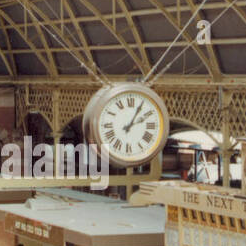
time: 2:04
